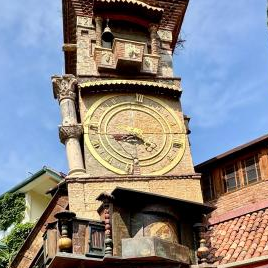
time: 8:21
